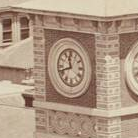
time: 11:41
